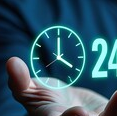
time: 4:00
